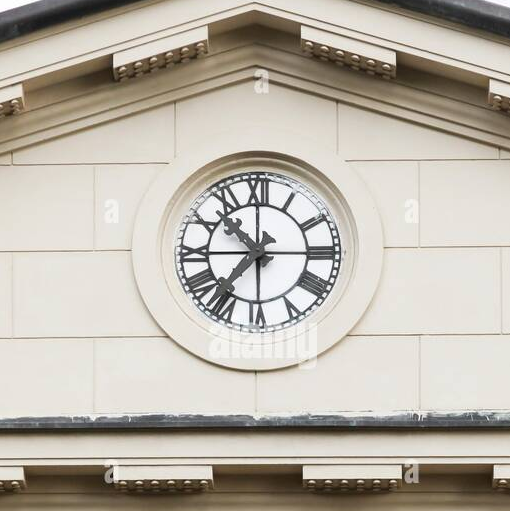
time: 10:36
